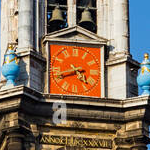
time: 4:42
